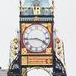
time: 3:44
